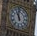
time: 10:58
